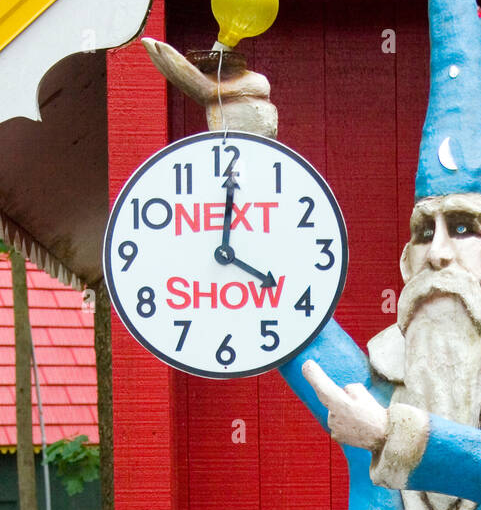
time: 4:00
